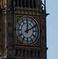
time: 12:10
